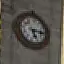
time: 5:15
